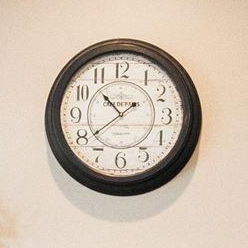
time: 10:39
